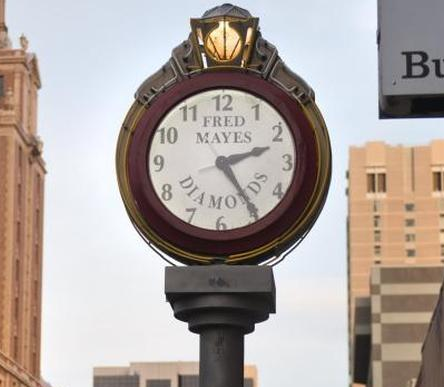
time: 2:24
